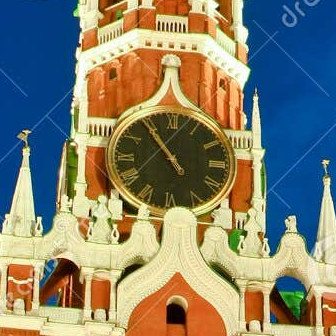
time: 10:54
